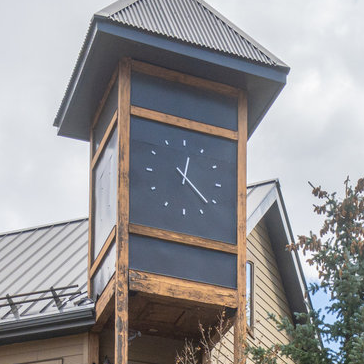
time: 12:21
